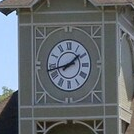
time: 1:43
